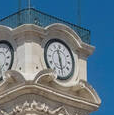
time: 11:28
